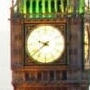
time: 9:38
